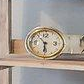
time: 5:54
